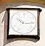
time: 10:14
